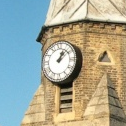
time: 1:08
